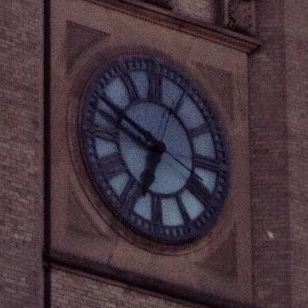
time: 6:49
